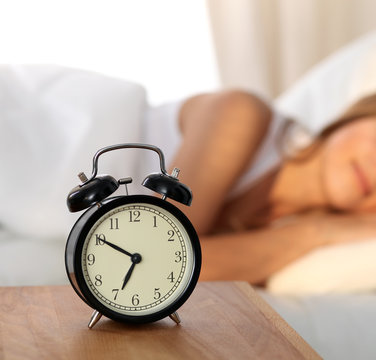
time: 6:50
